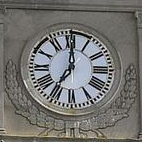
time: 7:00
